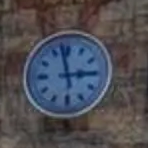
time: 2:58
